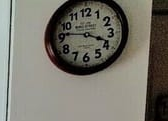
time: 3:46
